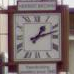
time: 1:12
